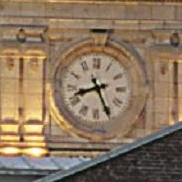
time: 8:25
